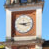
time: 9:12
